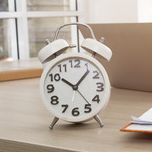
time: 10:07
